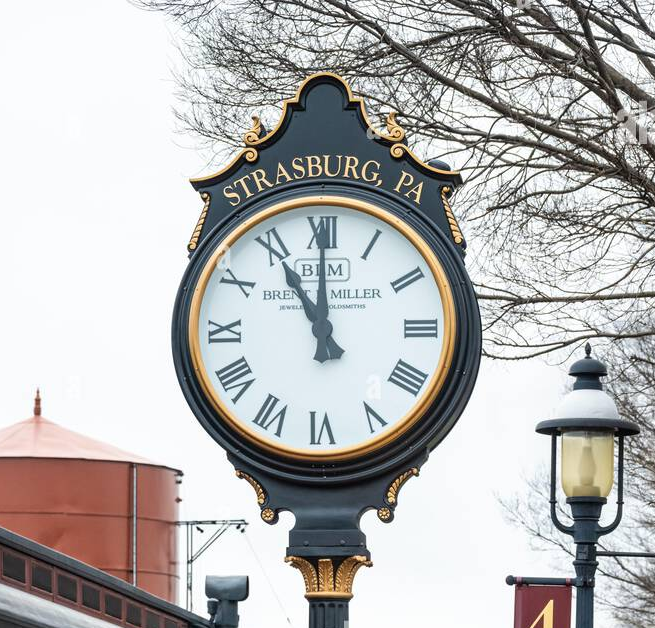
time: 11:00
